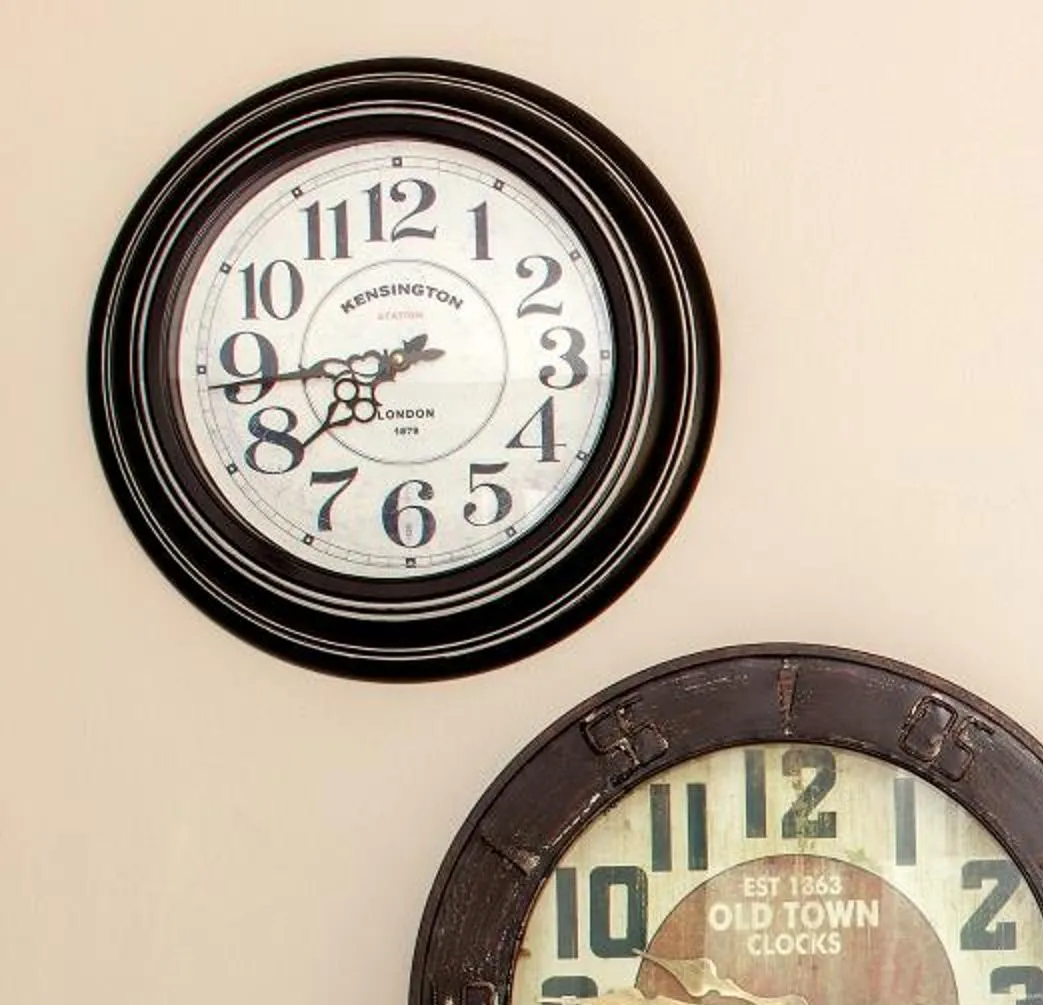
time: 7:43
